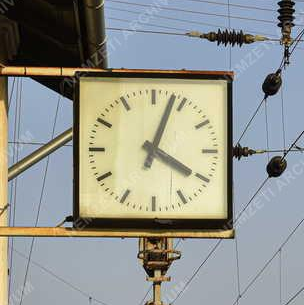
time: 4:03
